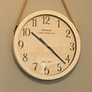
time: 10:21
